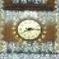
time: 8:14
